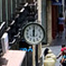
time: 12:01
